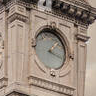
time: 1:18
